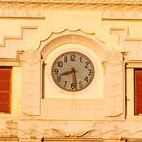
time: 8:28
